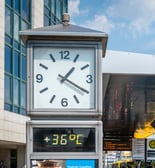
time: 1:19
